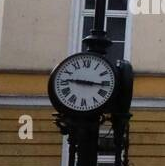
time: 9:16
